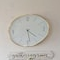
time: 4:28
